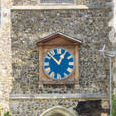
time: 12:52
